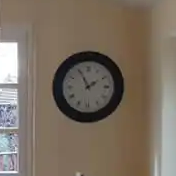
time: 1:55
